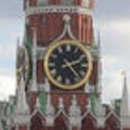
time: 2:23
